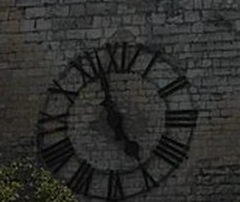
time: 4:57
